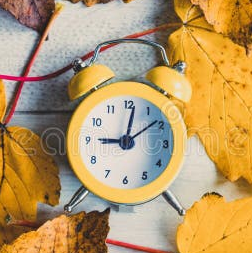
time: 9:01
